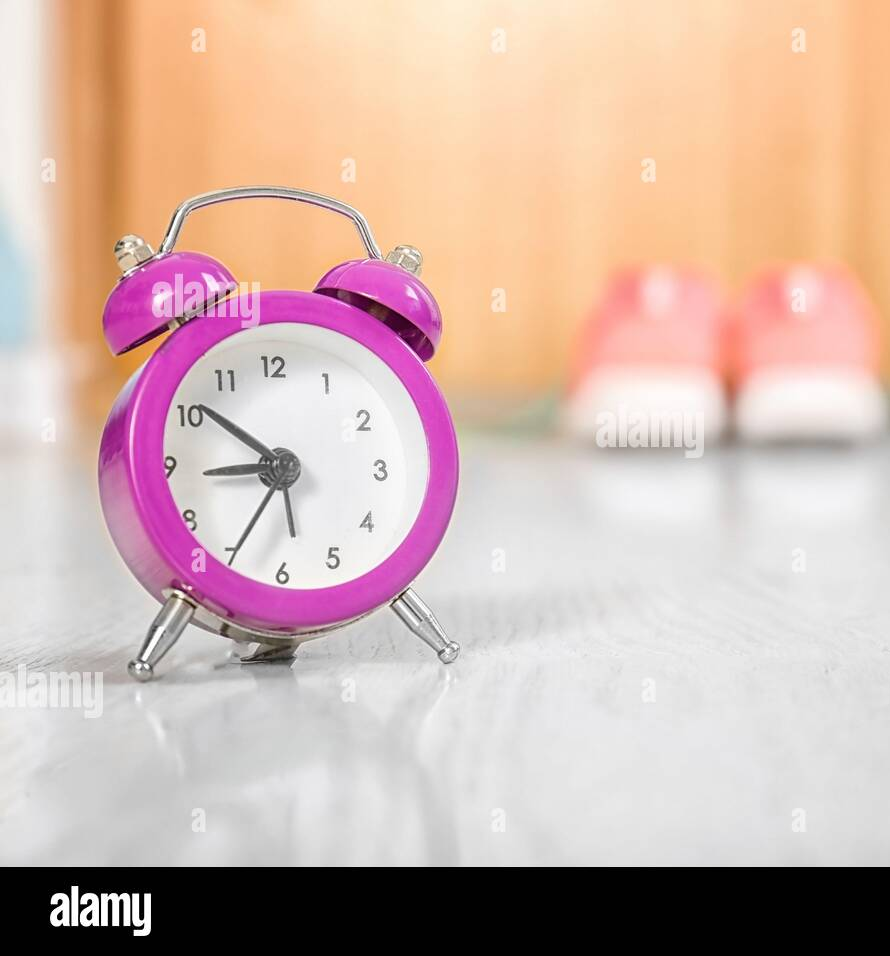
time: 8:51
